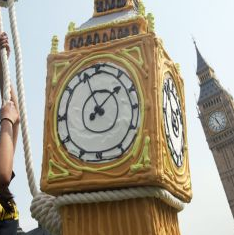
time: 1:56
